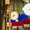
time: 8:11
